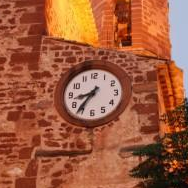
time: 8:36
